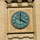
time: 4:00
